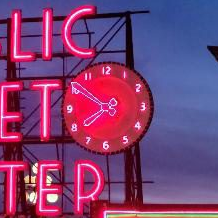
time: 7:50
